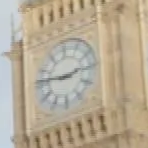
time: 2:46
